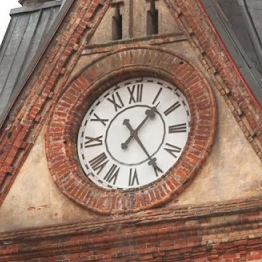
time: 1:24
